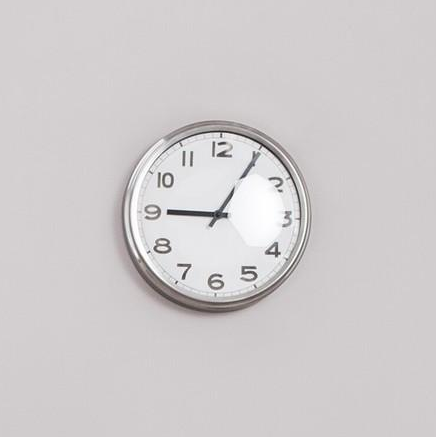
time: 9:05
